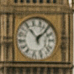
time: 11:07
